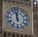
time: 11:57
